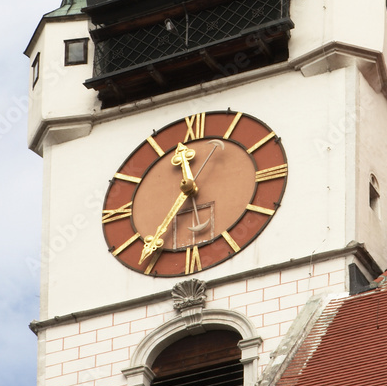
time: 11:36
